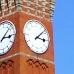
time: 3:08
